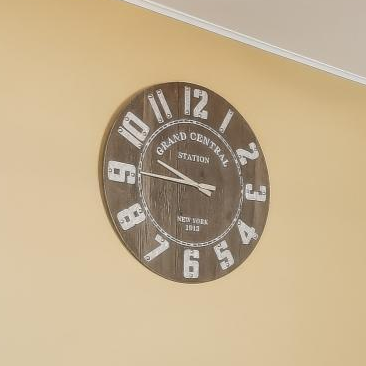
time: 9:45
